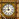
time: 11:44
